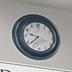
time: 9:38
